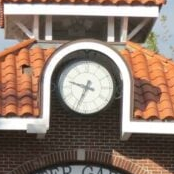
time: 9:34
